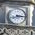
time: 8:14
